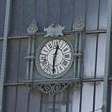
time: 12:30
